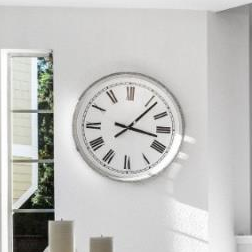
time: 3:07
